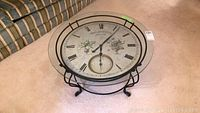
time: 6:06
